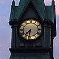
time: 7:32
